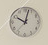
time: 10:02
